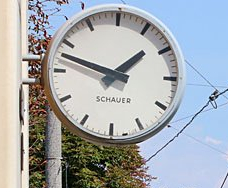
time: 1:47
